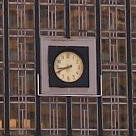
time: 8:41
